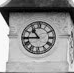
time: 10:44
